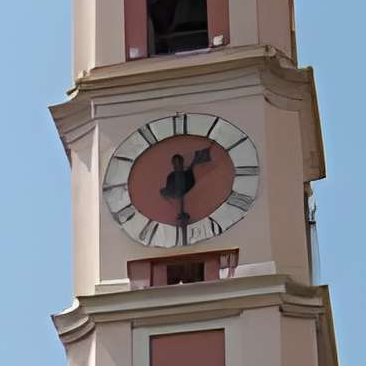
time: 1:29
